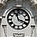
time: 11:18
